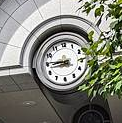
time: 8:45
